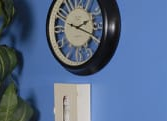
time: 2:18
